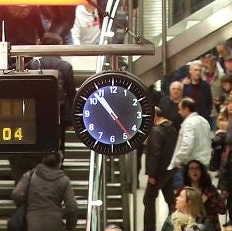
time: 10:52
